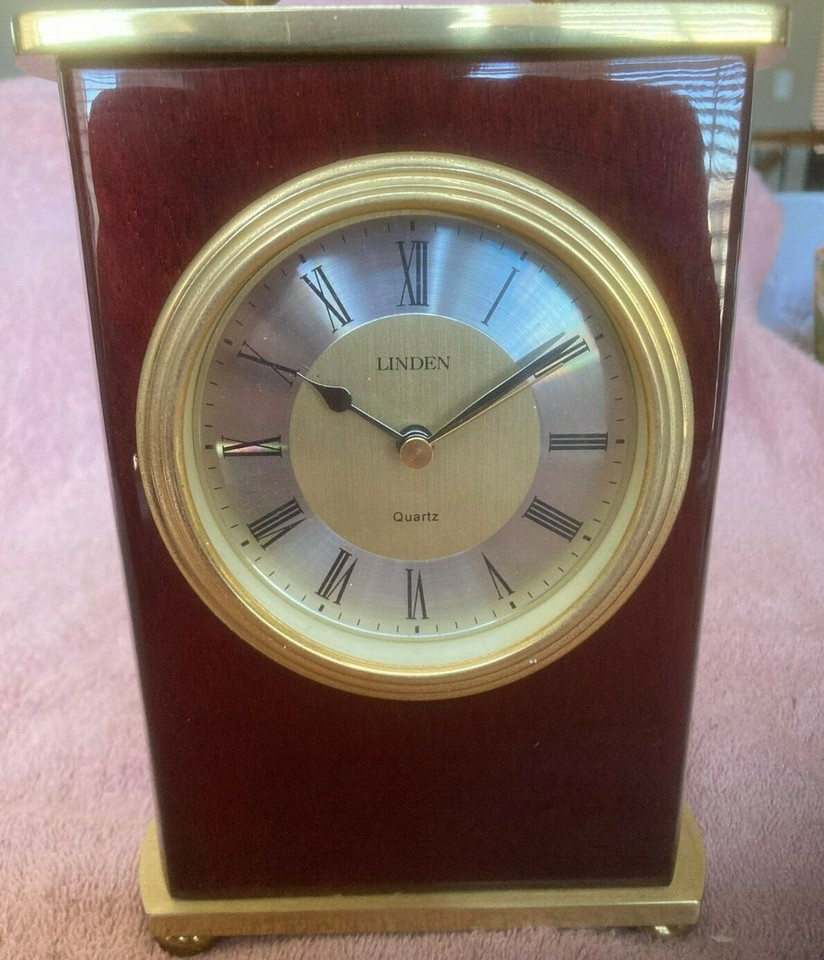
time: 10:09
